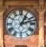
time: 1:12
